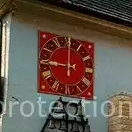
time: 9:00
